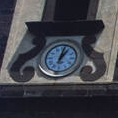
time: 1:02
